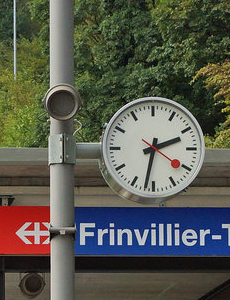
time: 2:32
